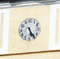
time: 5:24
